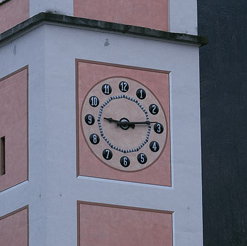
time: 9:13
